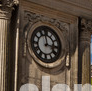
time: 2:58
